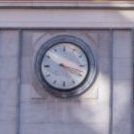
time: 4:17
